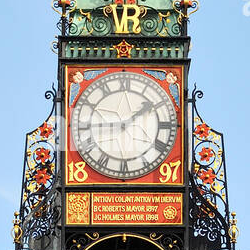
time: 1:44
